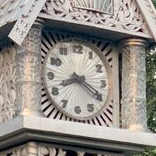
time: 8:19
